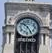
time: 10:24
